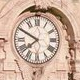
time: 7:49
